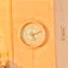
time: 5:11
